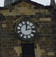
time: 12:13
